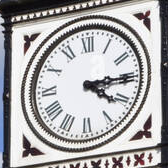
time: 4:14
